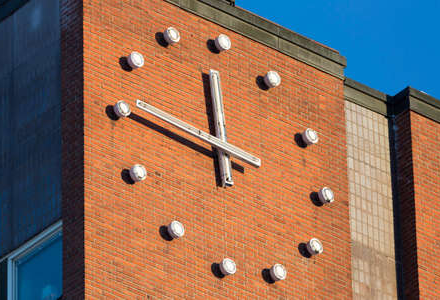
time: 11:46
